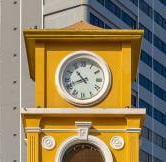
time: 10:41
